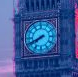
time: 7:41
